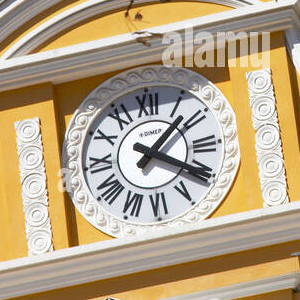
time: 1:20
